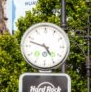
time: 4:47
